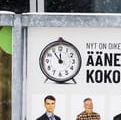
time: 11:53
